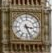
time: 3:26
